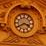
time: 3:40
